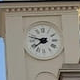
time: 7:47
